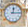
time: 12:14
